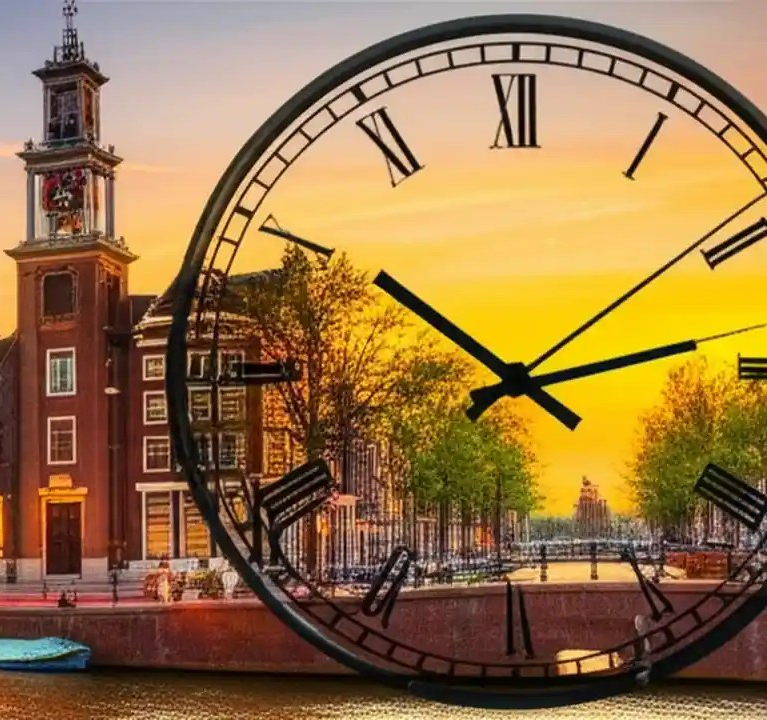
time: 10:13
